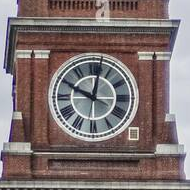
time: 10:01
